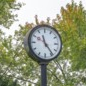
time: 11:23
